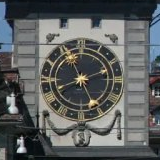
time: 11:25
